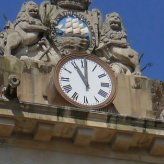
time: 11:00
